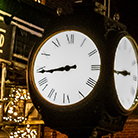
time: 8:44
